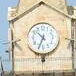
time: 10:34
